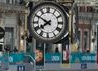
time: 7:49
